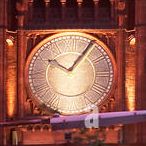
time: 10:05
